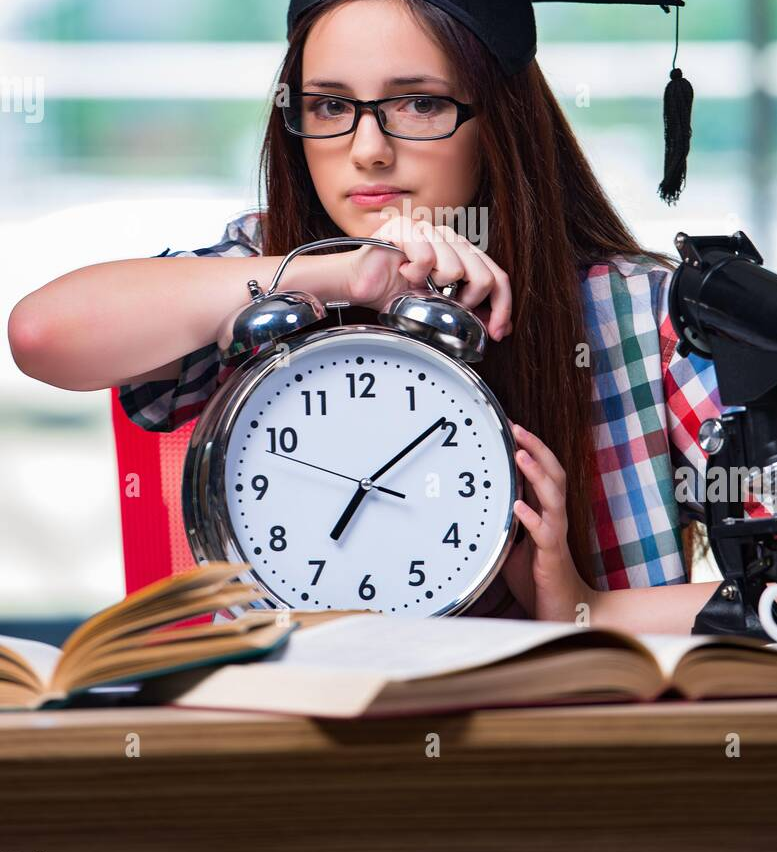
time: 7:08
